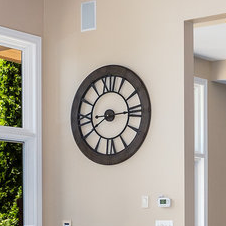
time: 8:14
